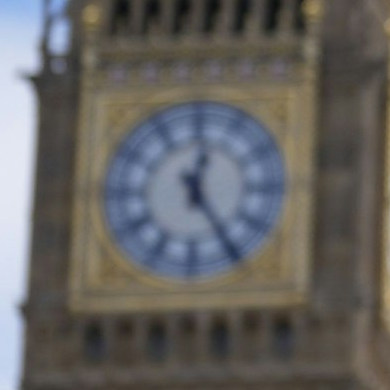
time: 12:24
